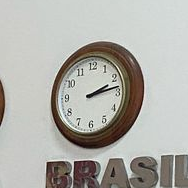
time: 2:13
